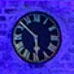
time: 5:51
